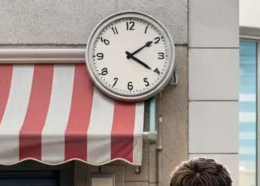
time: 4:09
